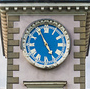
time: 4:55
